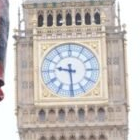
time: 9:29
